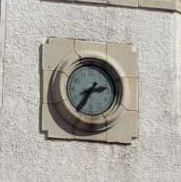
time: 2:35
